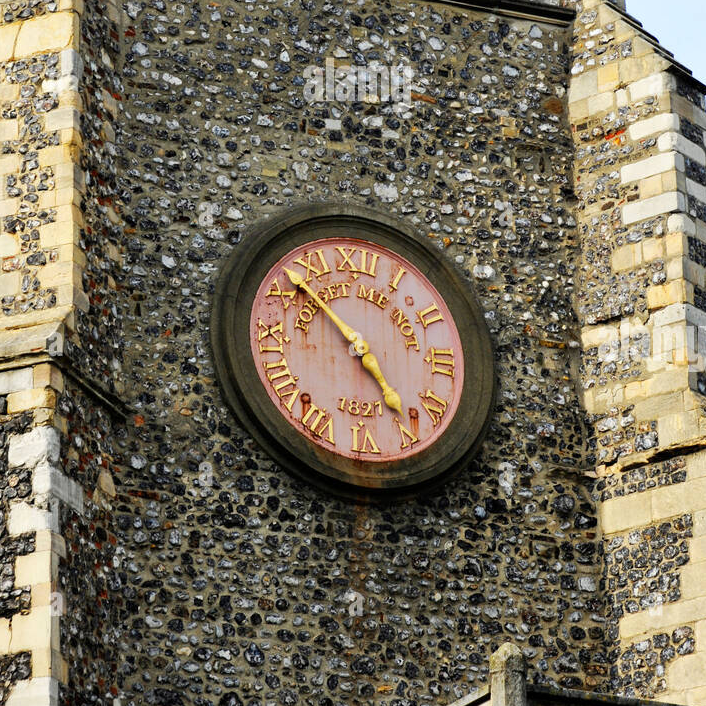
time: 4:52
